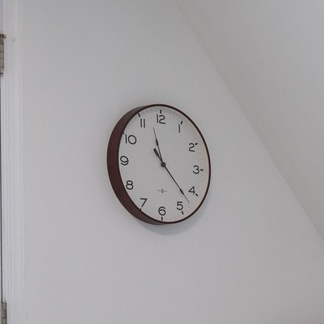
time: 11:22
